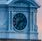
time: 7:11
